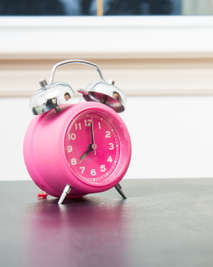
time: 8:01
